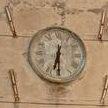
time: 6:30
